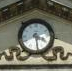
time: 3:28
